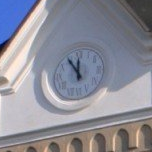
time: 11:54
